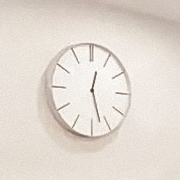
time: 12:27
